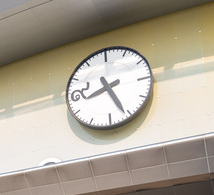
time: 8:26
